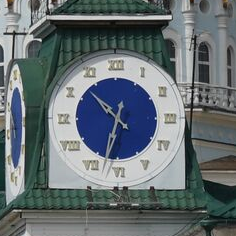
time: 10:32
